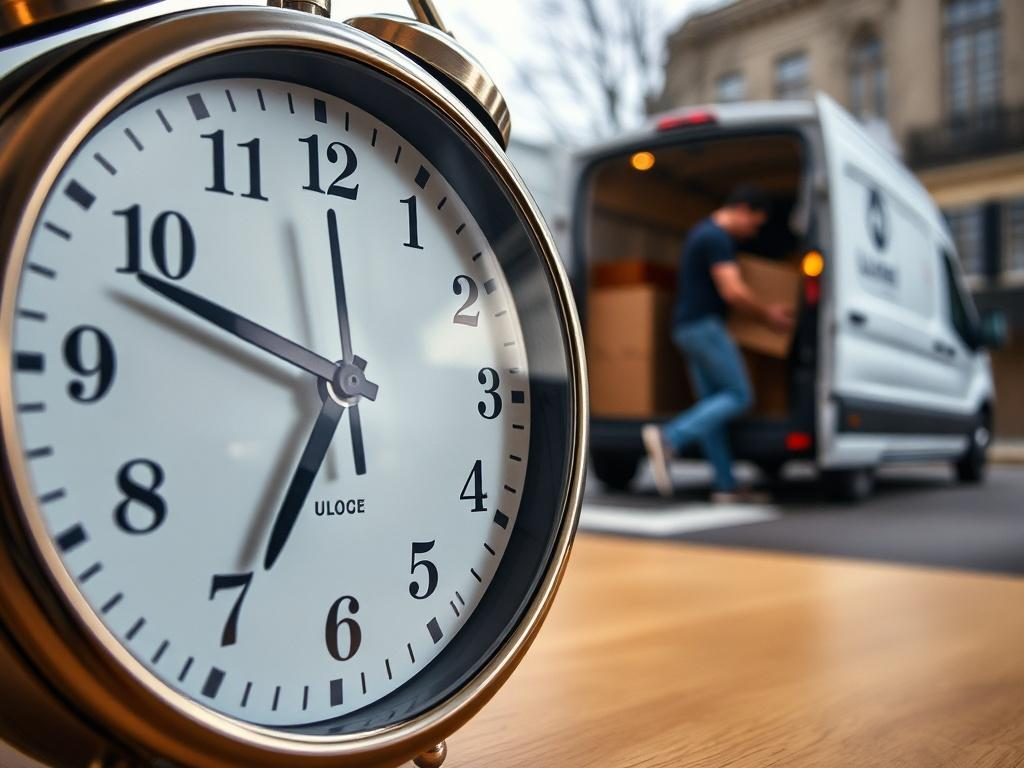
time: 6:48
